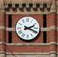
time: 2:18
